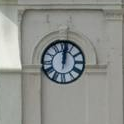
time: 12:01
